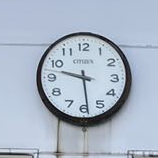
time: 9:28
